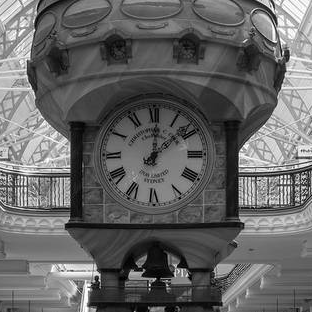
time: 12:08
